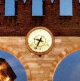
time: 9:34
